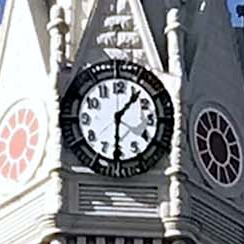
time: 1:30
